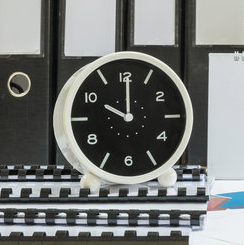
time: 10:00
